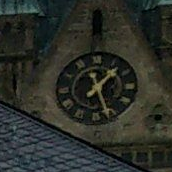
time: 1:26
